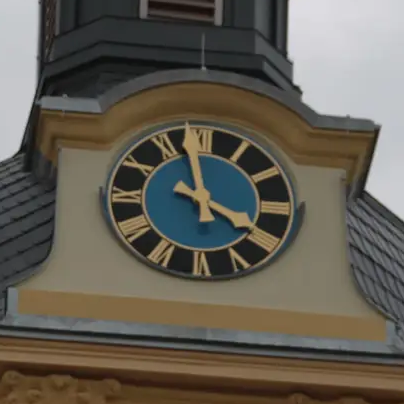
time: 3:57
